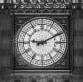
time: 9:10
